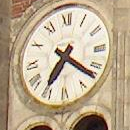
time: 7:21
